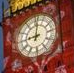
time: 9:01
